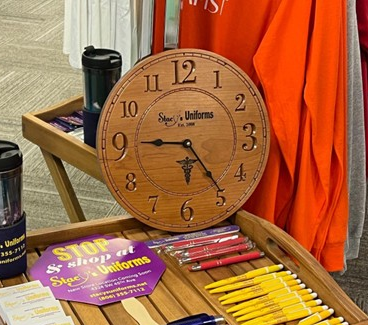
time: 4:45
